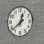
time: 12:38
